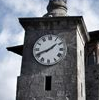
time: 1:41
